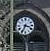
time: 3:34
